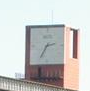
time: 2:35
